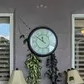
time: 11:51
